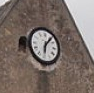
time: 6:06
